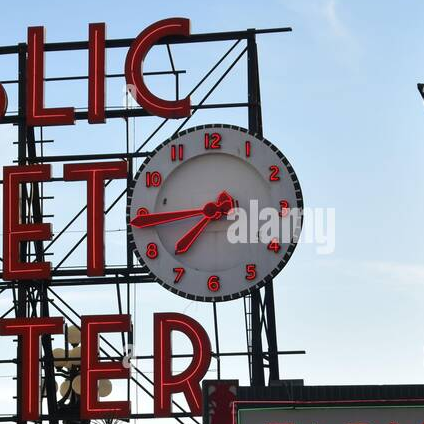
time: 7:44
